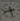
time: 2:27
